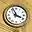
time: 3:56
